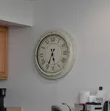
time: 5:34
